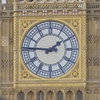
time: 1:46
